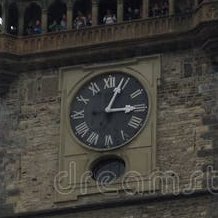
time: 3:03
